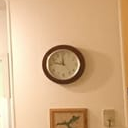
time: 11:46
